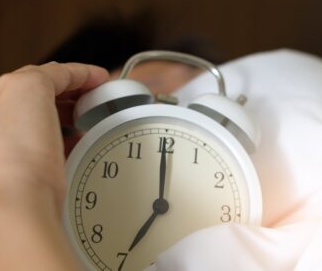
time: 7:00
